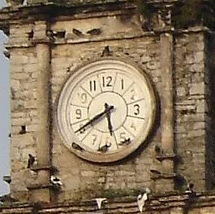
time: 5:40
